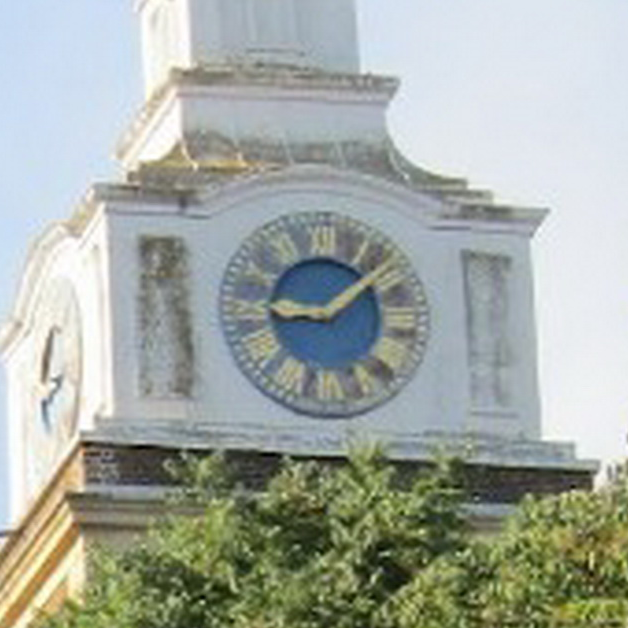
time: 9:08
